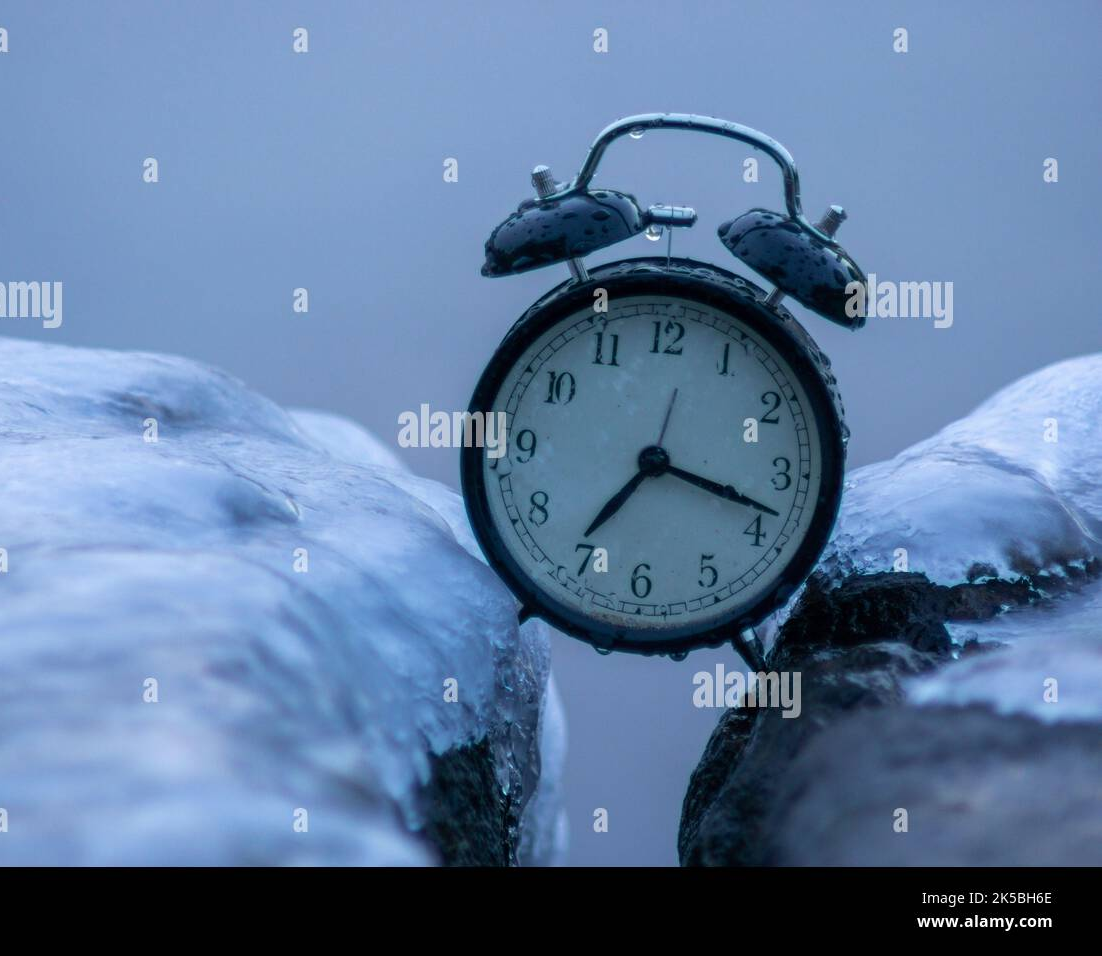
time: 7:18
